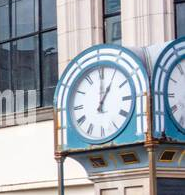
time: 1:00
